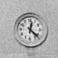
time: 12:22
